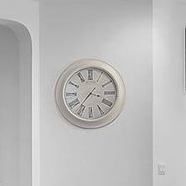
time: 3:36
